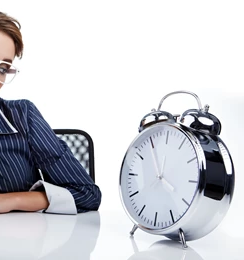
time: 3:55
